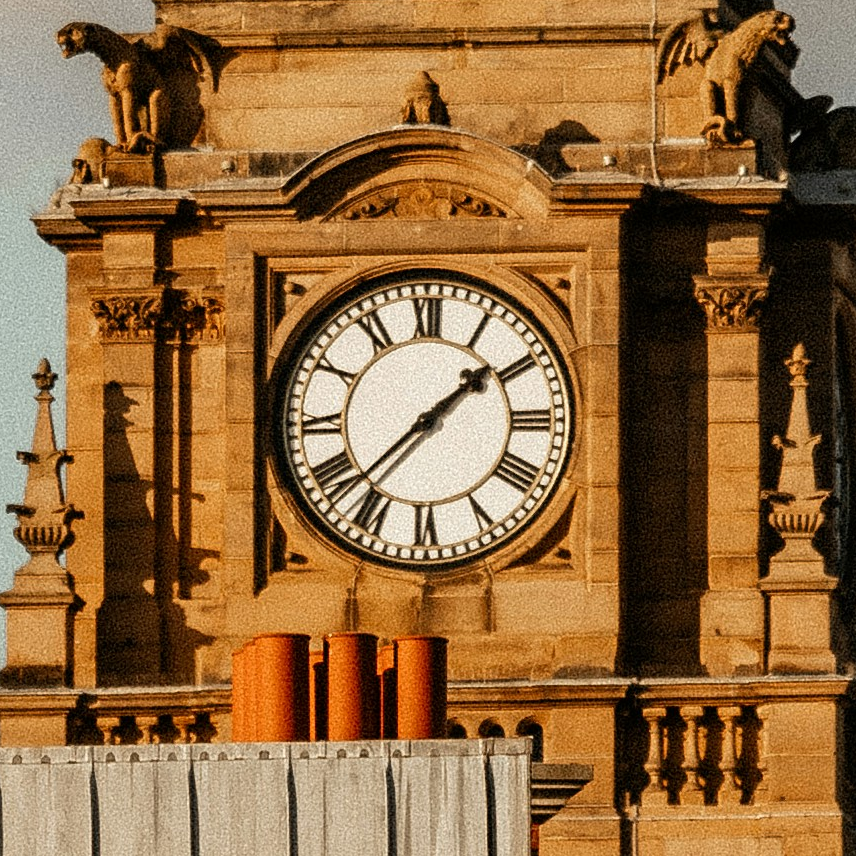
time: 1:37
